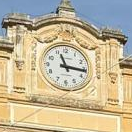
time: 11:16
